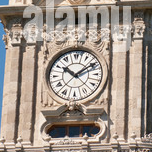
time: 10:09
